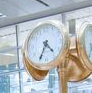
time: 4:34
